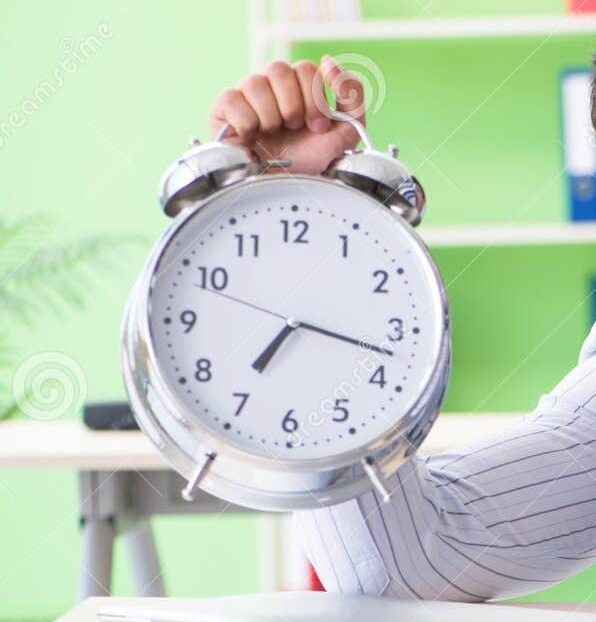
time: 7:17
